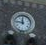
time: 11:46
